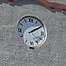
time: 2:10
